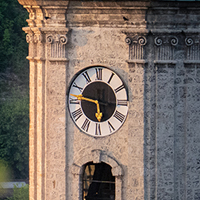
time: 5:46
